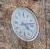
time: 4:12
